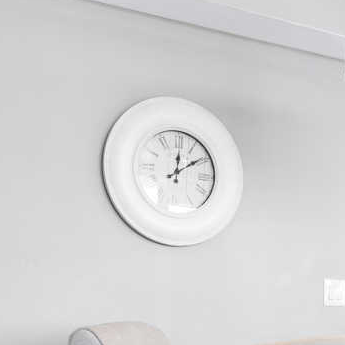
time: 12:09
